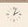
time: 2:03
